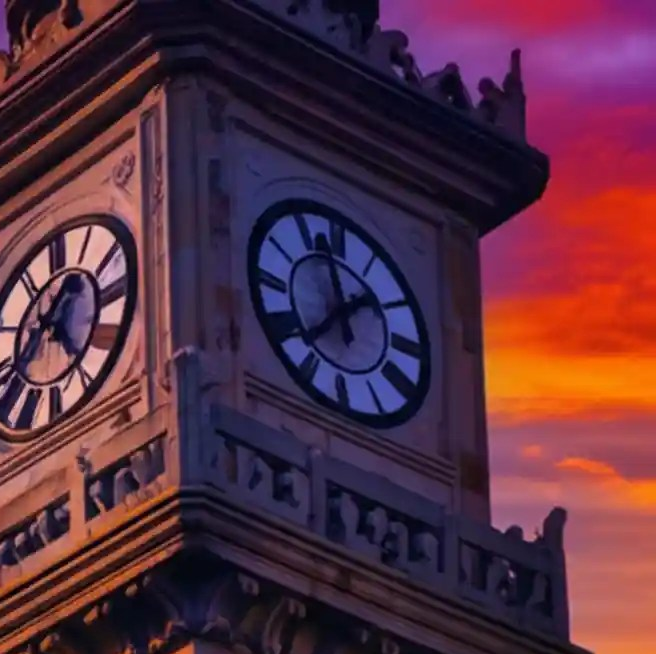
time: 11:37
